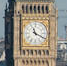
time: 11:19
